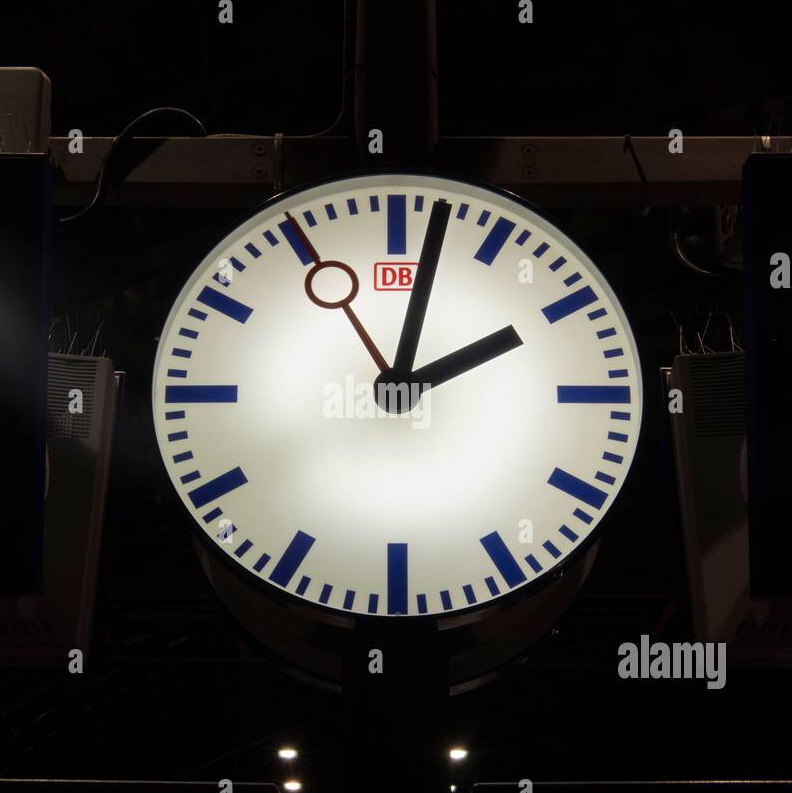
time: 2:02
